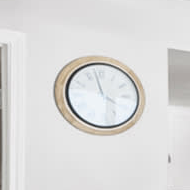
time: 3:57
